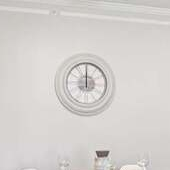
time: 11:59
